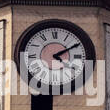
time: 4:10
